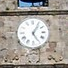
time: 5:05
